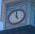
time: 4:59
